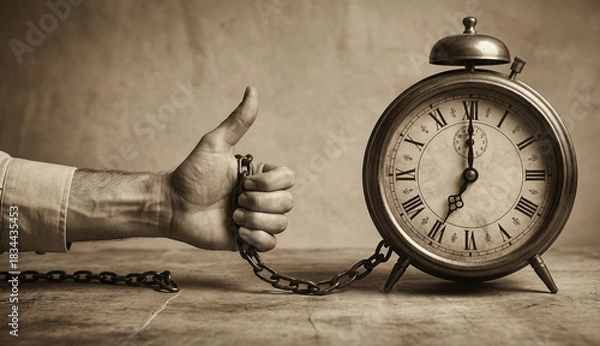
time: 7:00
